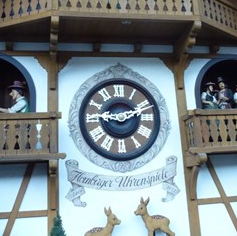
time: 9:11
